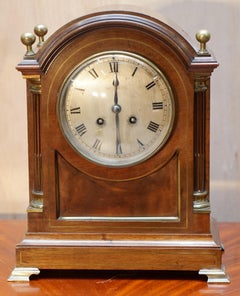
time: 6:00
